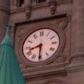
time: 8:30
